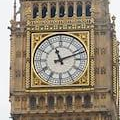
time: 11:11
